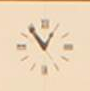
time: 12:54
